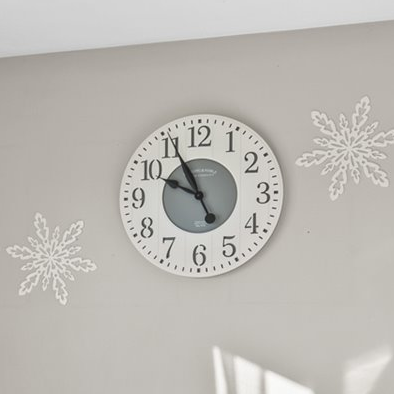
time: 9:55
